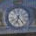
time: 6:23
